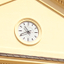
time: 10:41
